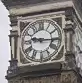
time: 9:15
